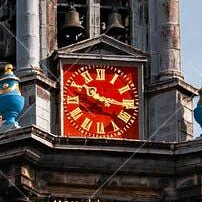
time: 10:16
